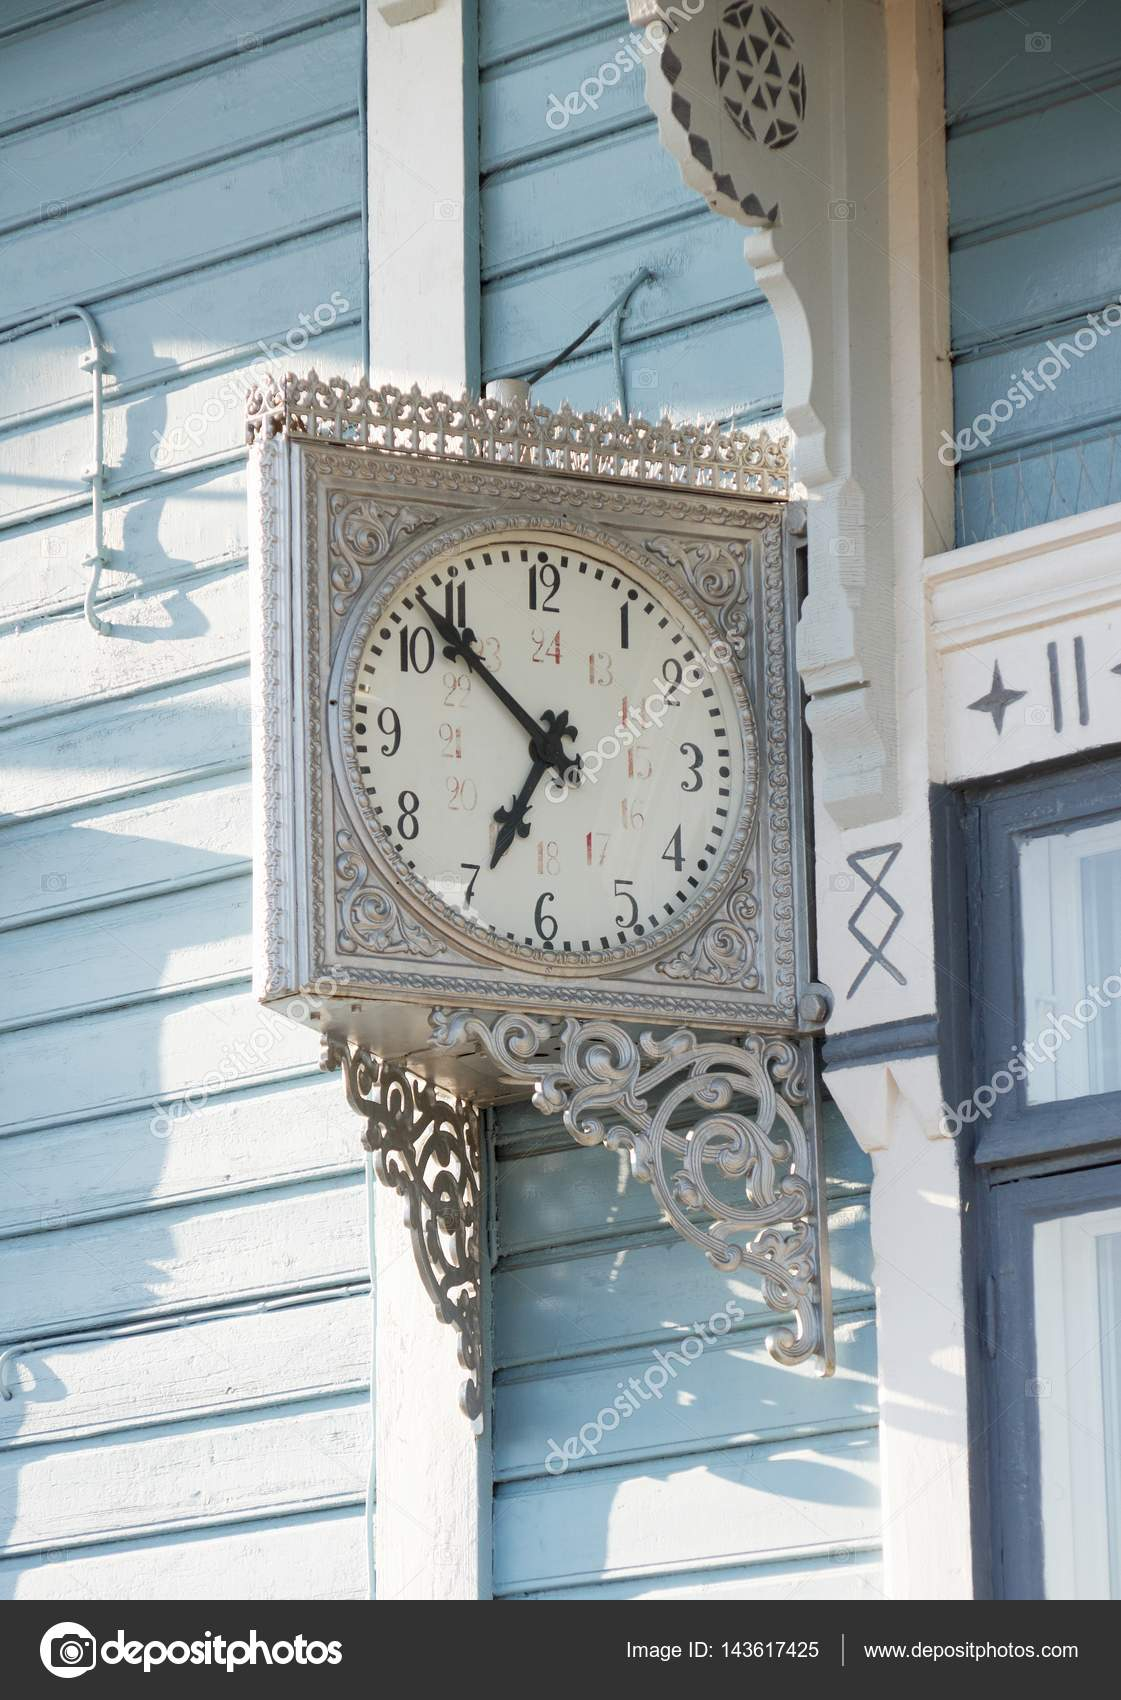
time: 6:52
